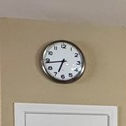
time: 6:43
